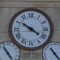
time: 3:50
